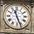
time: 11:26
